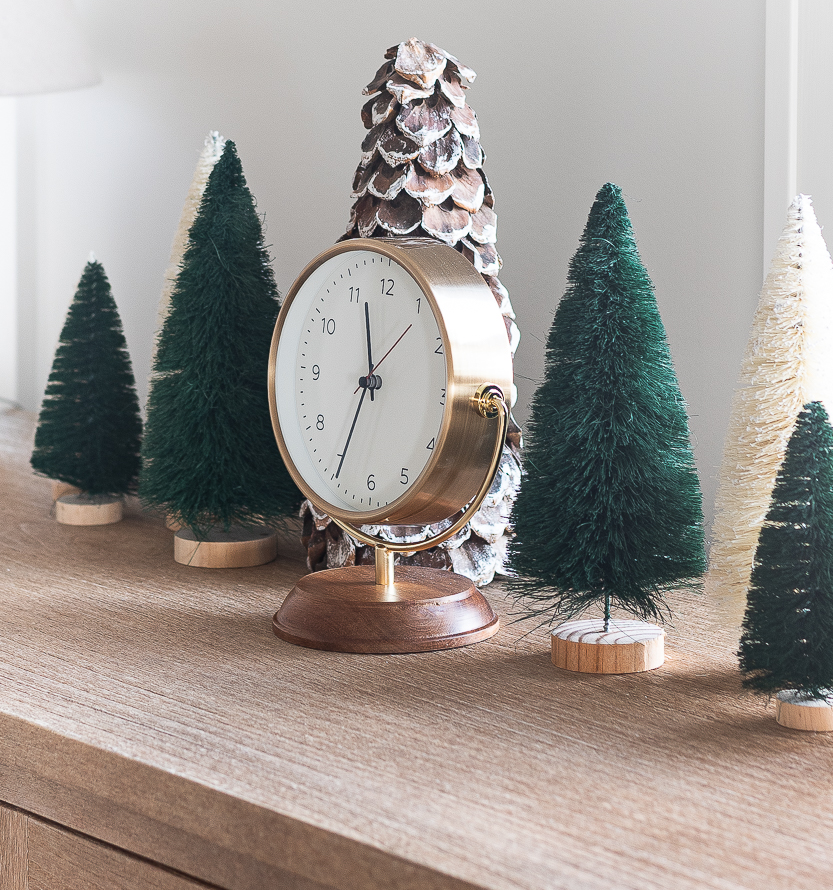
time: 11:33
